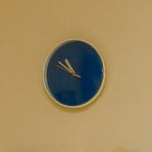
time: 10:50
